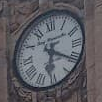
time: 6:20
